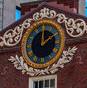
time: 2:00
